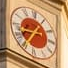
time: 8:35
